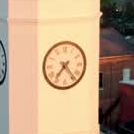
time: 7:23
